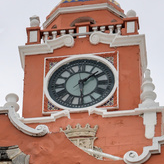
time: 1:29
